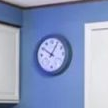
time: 10:05
